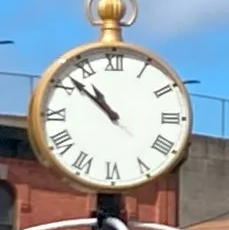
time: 10:52
